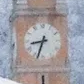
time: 8:33
